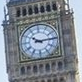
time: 10:14
